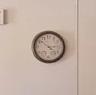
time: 2:51
